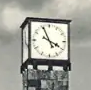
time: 3:55
